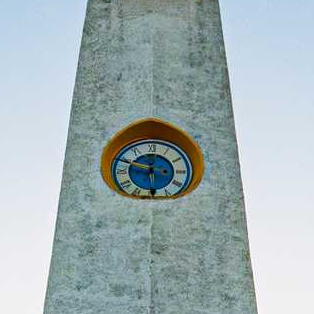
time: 5:48
